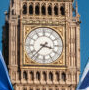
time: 3:37
